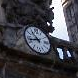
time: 10:42
